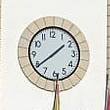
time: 1:39
